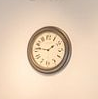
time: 1:46
